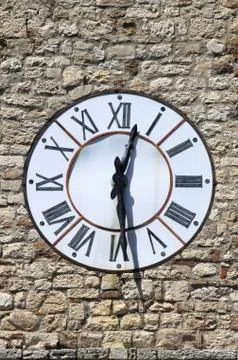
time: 12:28
